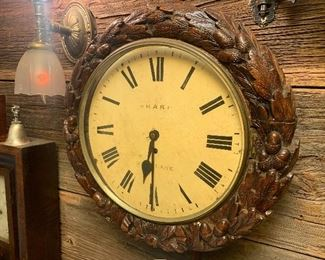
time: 6:30
